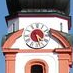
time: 4:27
